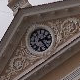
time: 2:23
